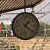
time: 1:21
